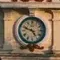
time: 4:48
